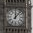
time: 12:07
